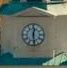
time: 12:28
